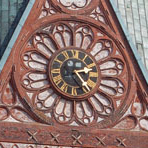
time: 2:24
